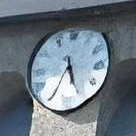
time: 5:34
